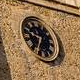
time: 9:34
